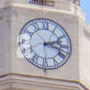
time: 2:18
